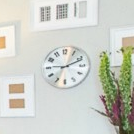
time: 9:11
